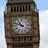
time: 10:48
